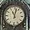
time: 11:02
